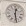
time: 12:28
